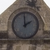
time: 2:00
